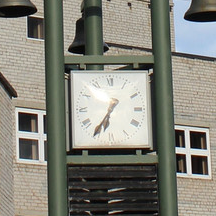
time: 6:35
